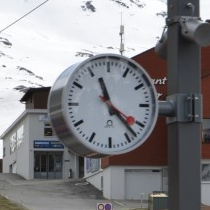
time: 11:22
